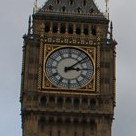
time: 3:08
